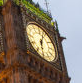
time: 6:03
